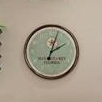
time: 2:03
